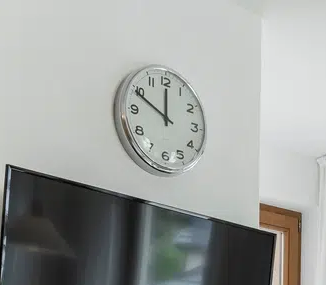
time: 11:49
